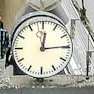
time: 12:14
